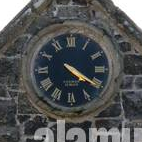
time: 4:20
